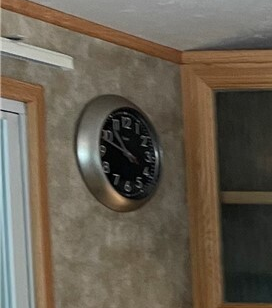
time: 10:48
